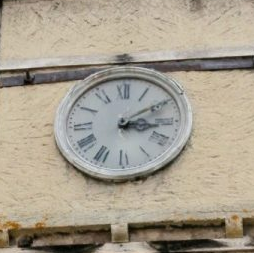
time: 3:09
